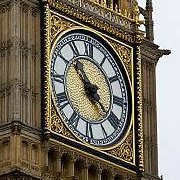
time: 10:20
